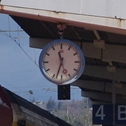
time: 11:33
